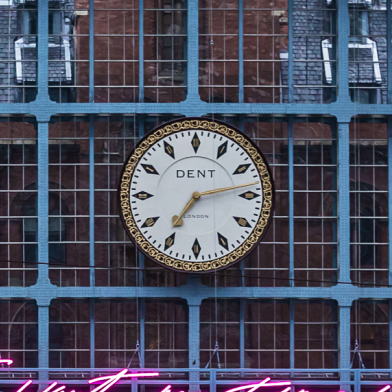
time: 7:12
